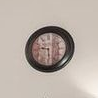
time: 9:28
